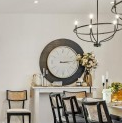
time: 3:13
